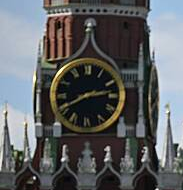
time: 2:40
